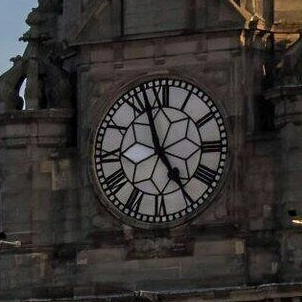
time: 4:57
